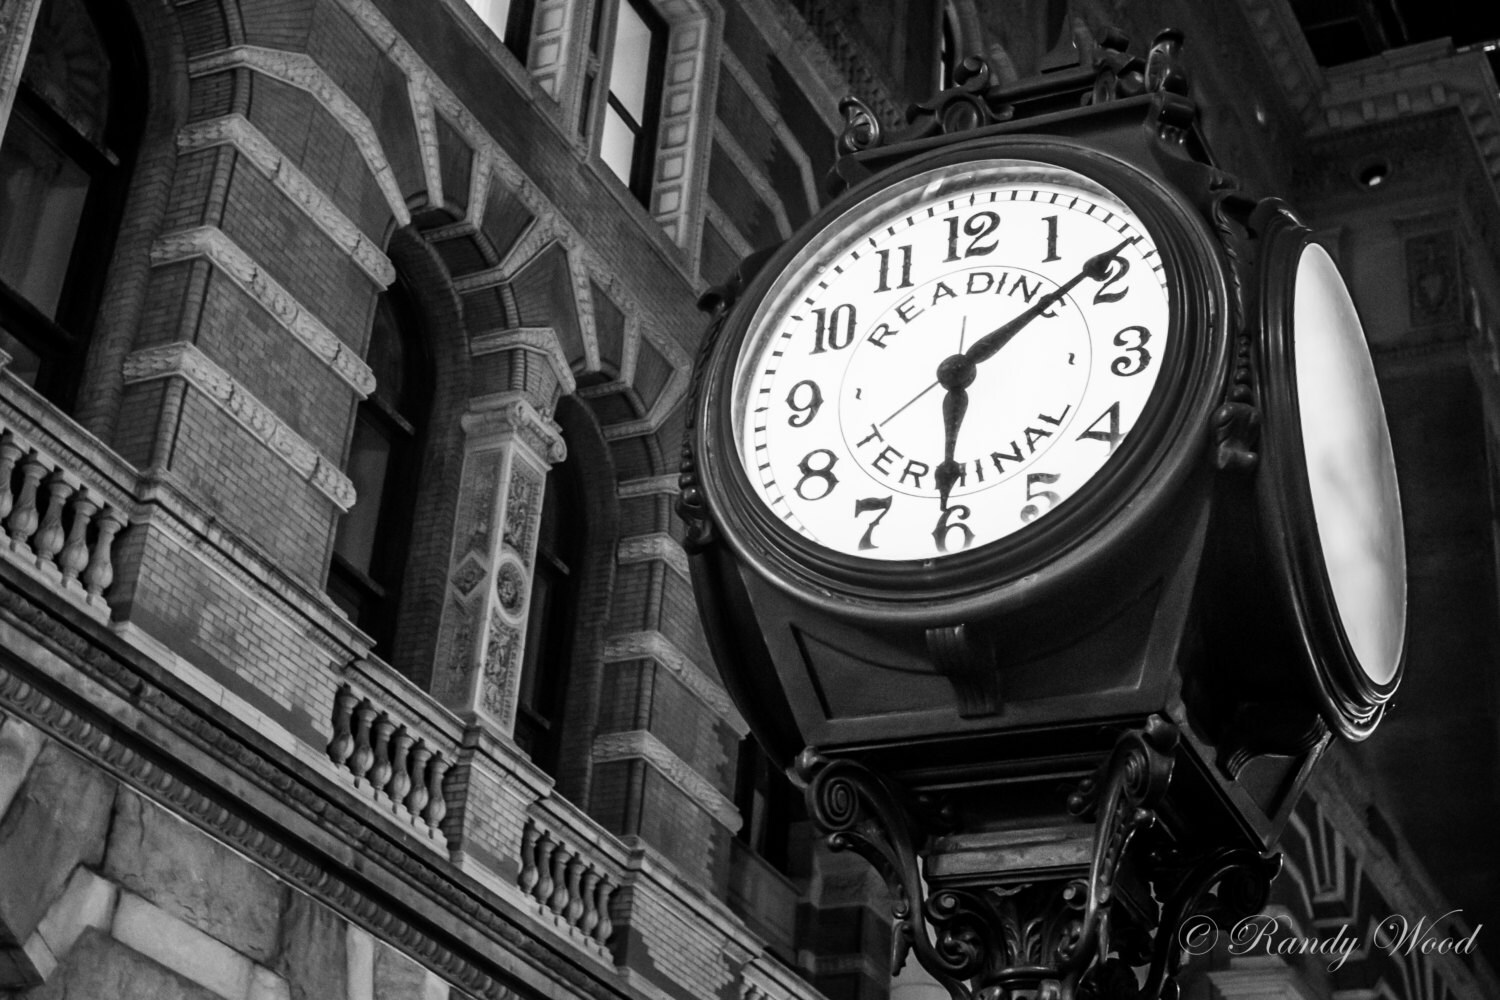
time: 6:08
